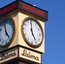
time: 4:59
